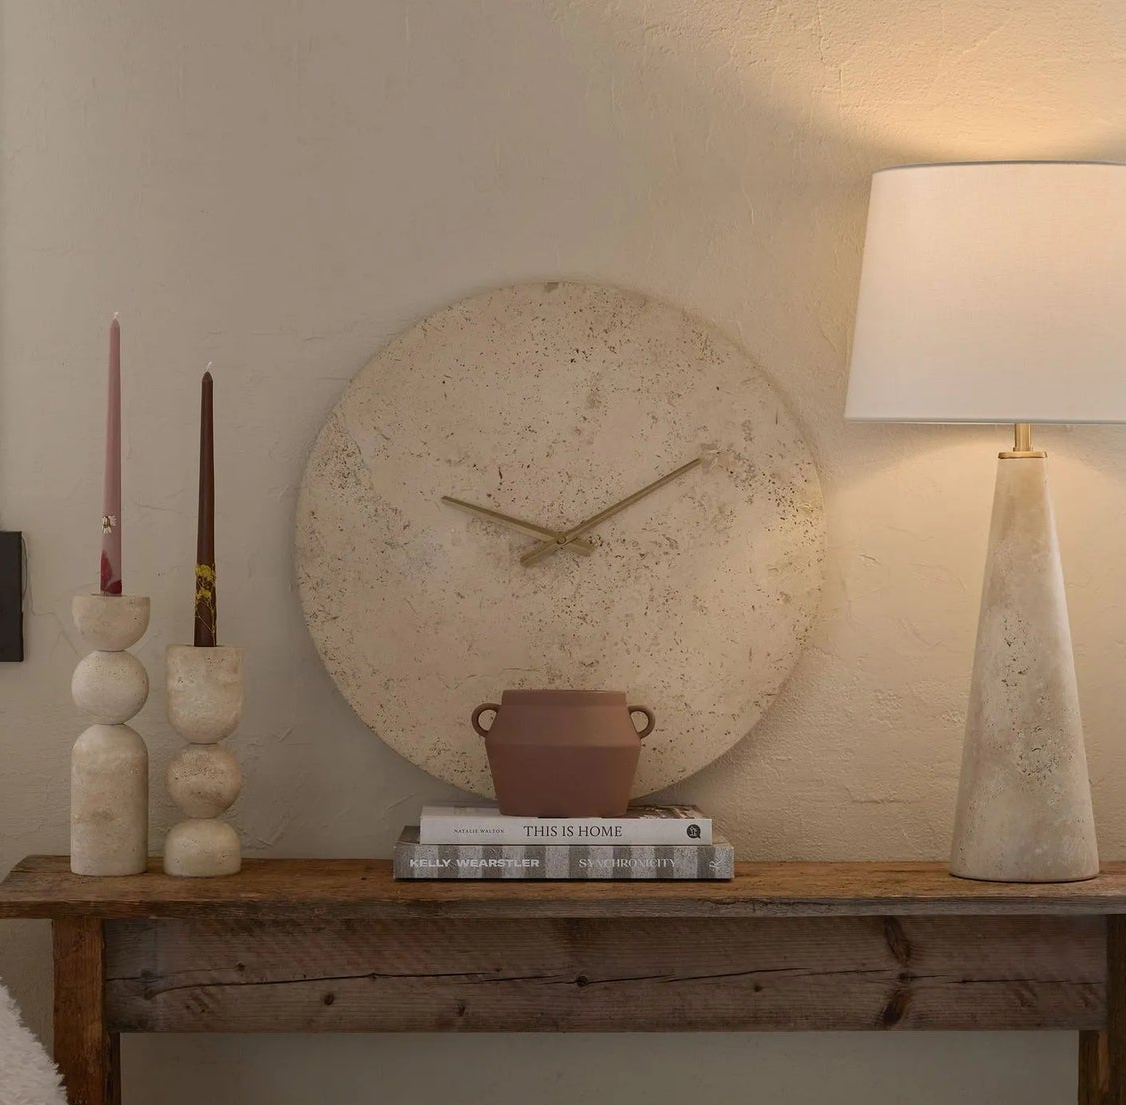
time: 9:10
